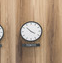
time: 3:52
